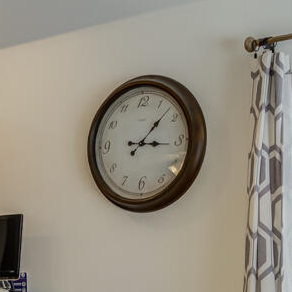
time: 3:07
